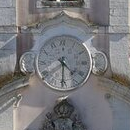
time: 4:31
